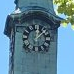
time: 12:07
